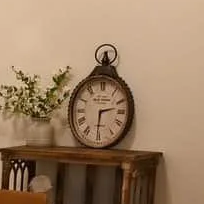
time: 2:30
